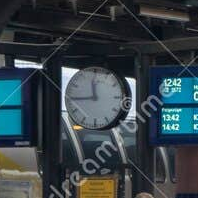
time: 11:44
